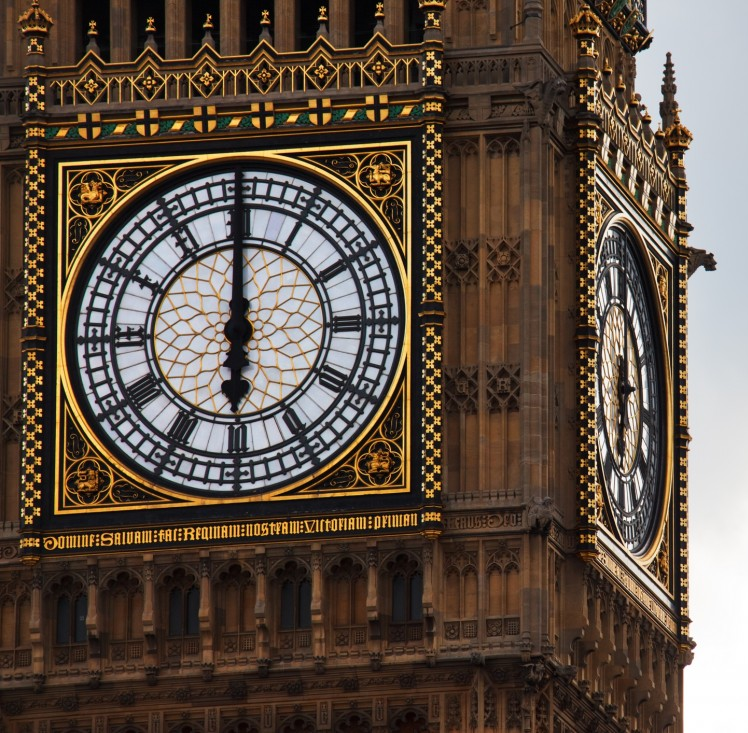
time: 5:59
